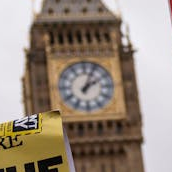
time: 2:04
